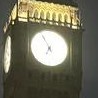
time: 6:55
